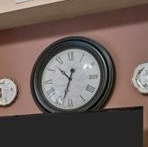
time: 10:33
